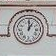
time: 1:00
